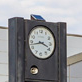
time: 3:43
